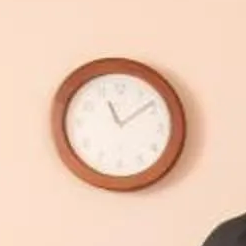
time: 11:08
